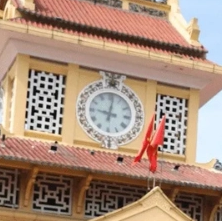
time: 9:01
